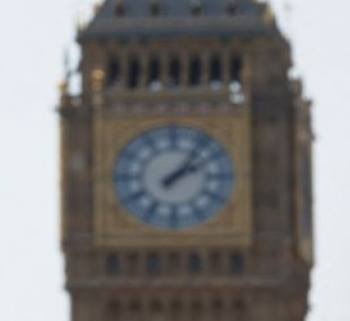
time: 2:06
